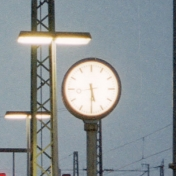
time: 5:29
